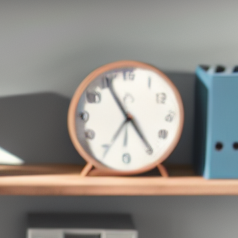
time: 4:55
